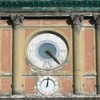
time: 4:22
